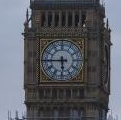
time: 5:45
